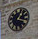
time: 1:18
